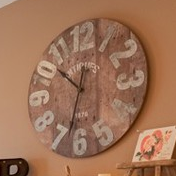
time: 10:32
